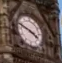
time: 3:47
